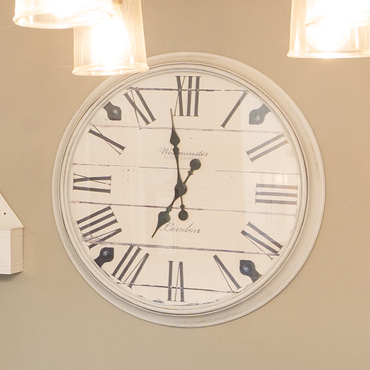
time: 6:58
